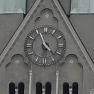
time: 11:22
